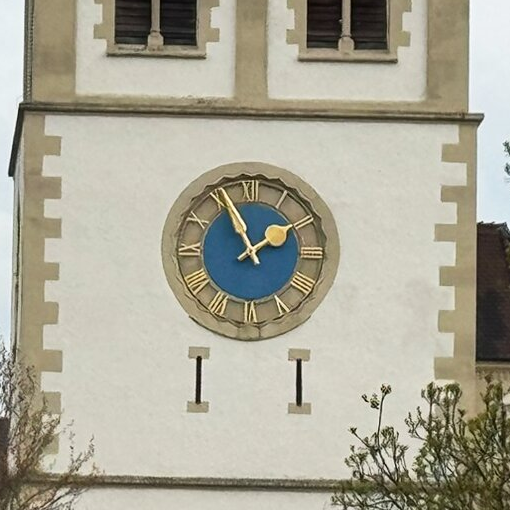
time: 1:56
